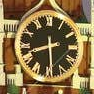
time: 8:29
